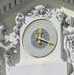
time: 12:18
